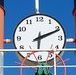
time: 6:11
